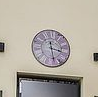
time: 3:28
